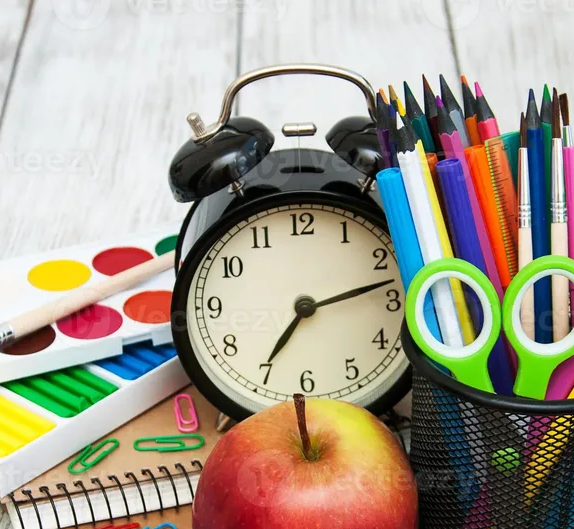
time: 7:13
